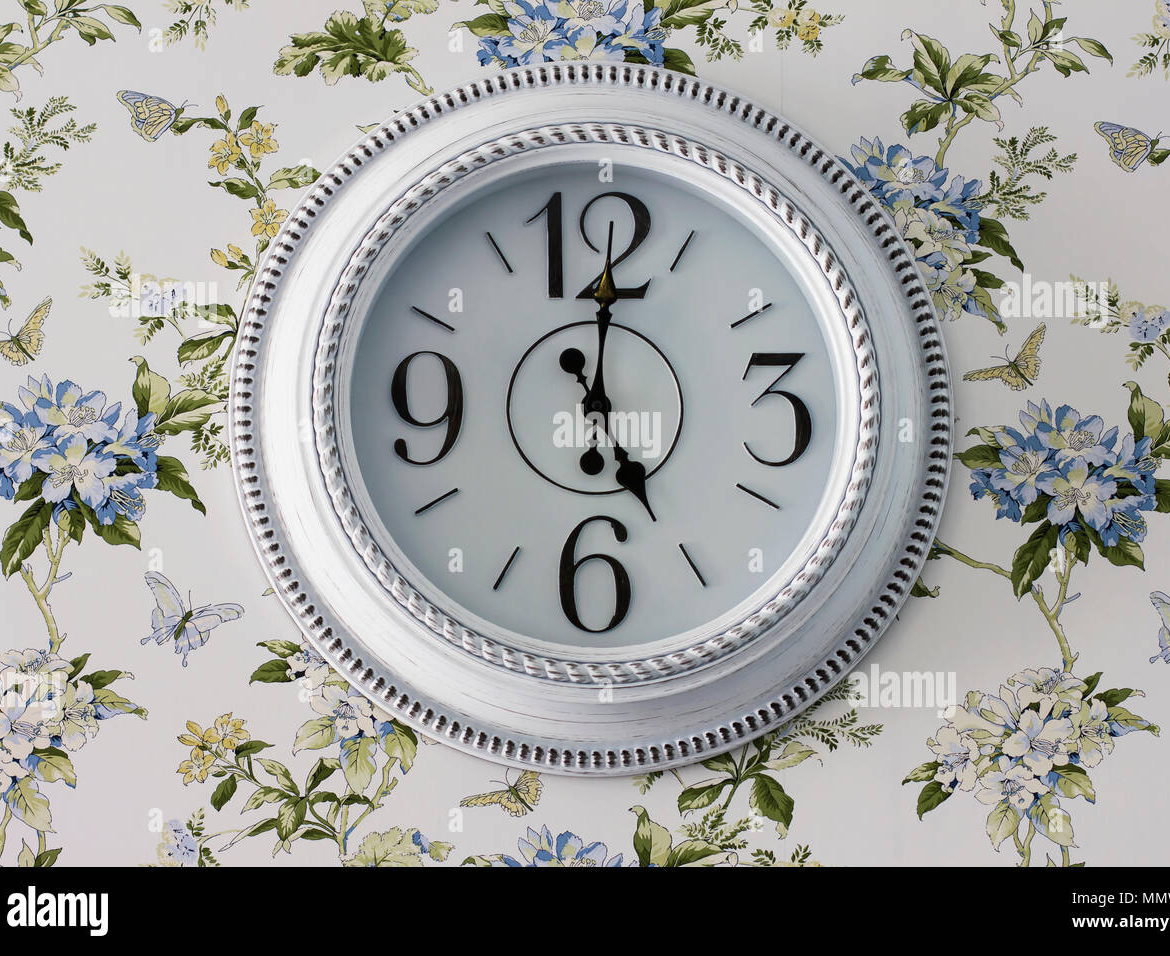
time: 5:00
